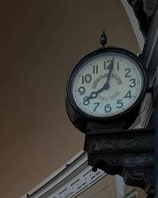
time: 8:02
